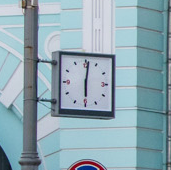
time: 6:01
